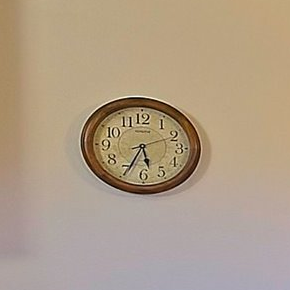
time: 5:34
